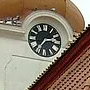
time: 2:36
